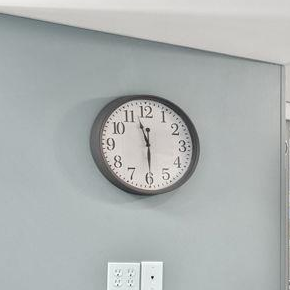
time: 11:29
